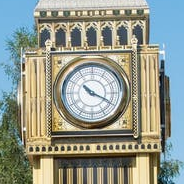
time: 10:19
